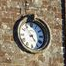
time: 4:53
